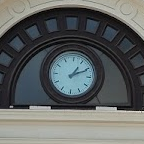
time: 1:10
